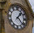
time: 1:22
